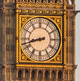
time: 8:42
